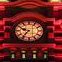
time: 9:36
